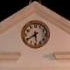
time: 5:40
